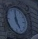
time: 4:59
